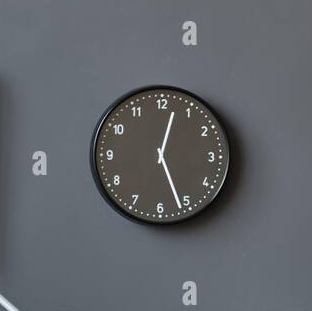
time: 12:26
